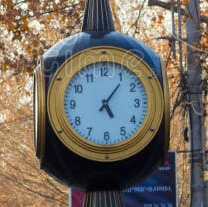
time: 5:06
